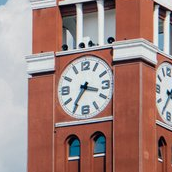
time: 3:35
